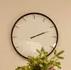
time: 2:11
